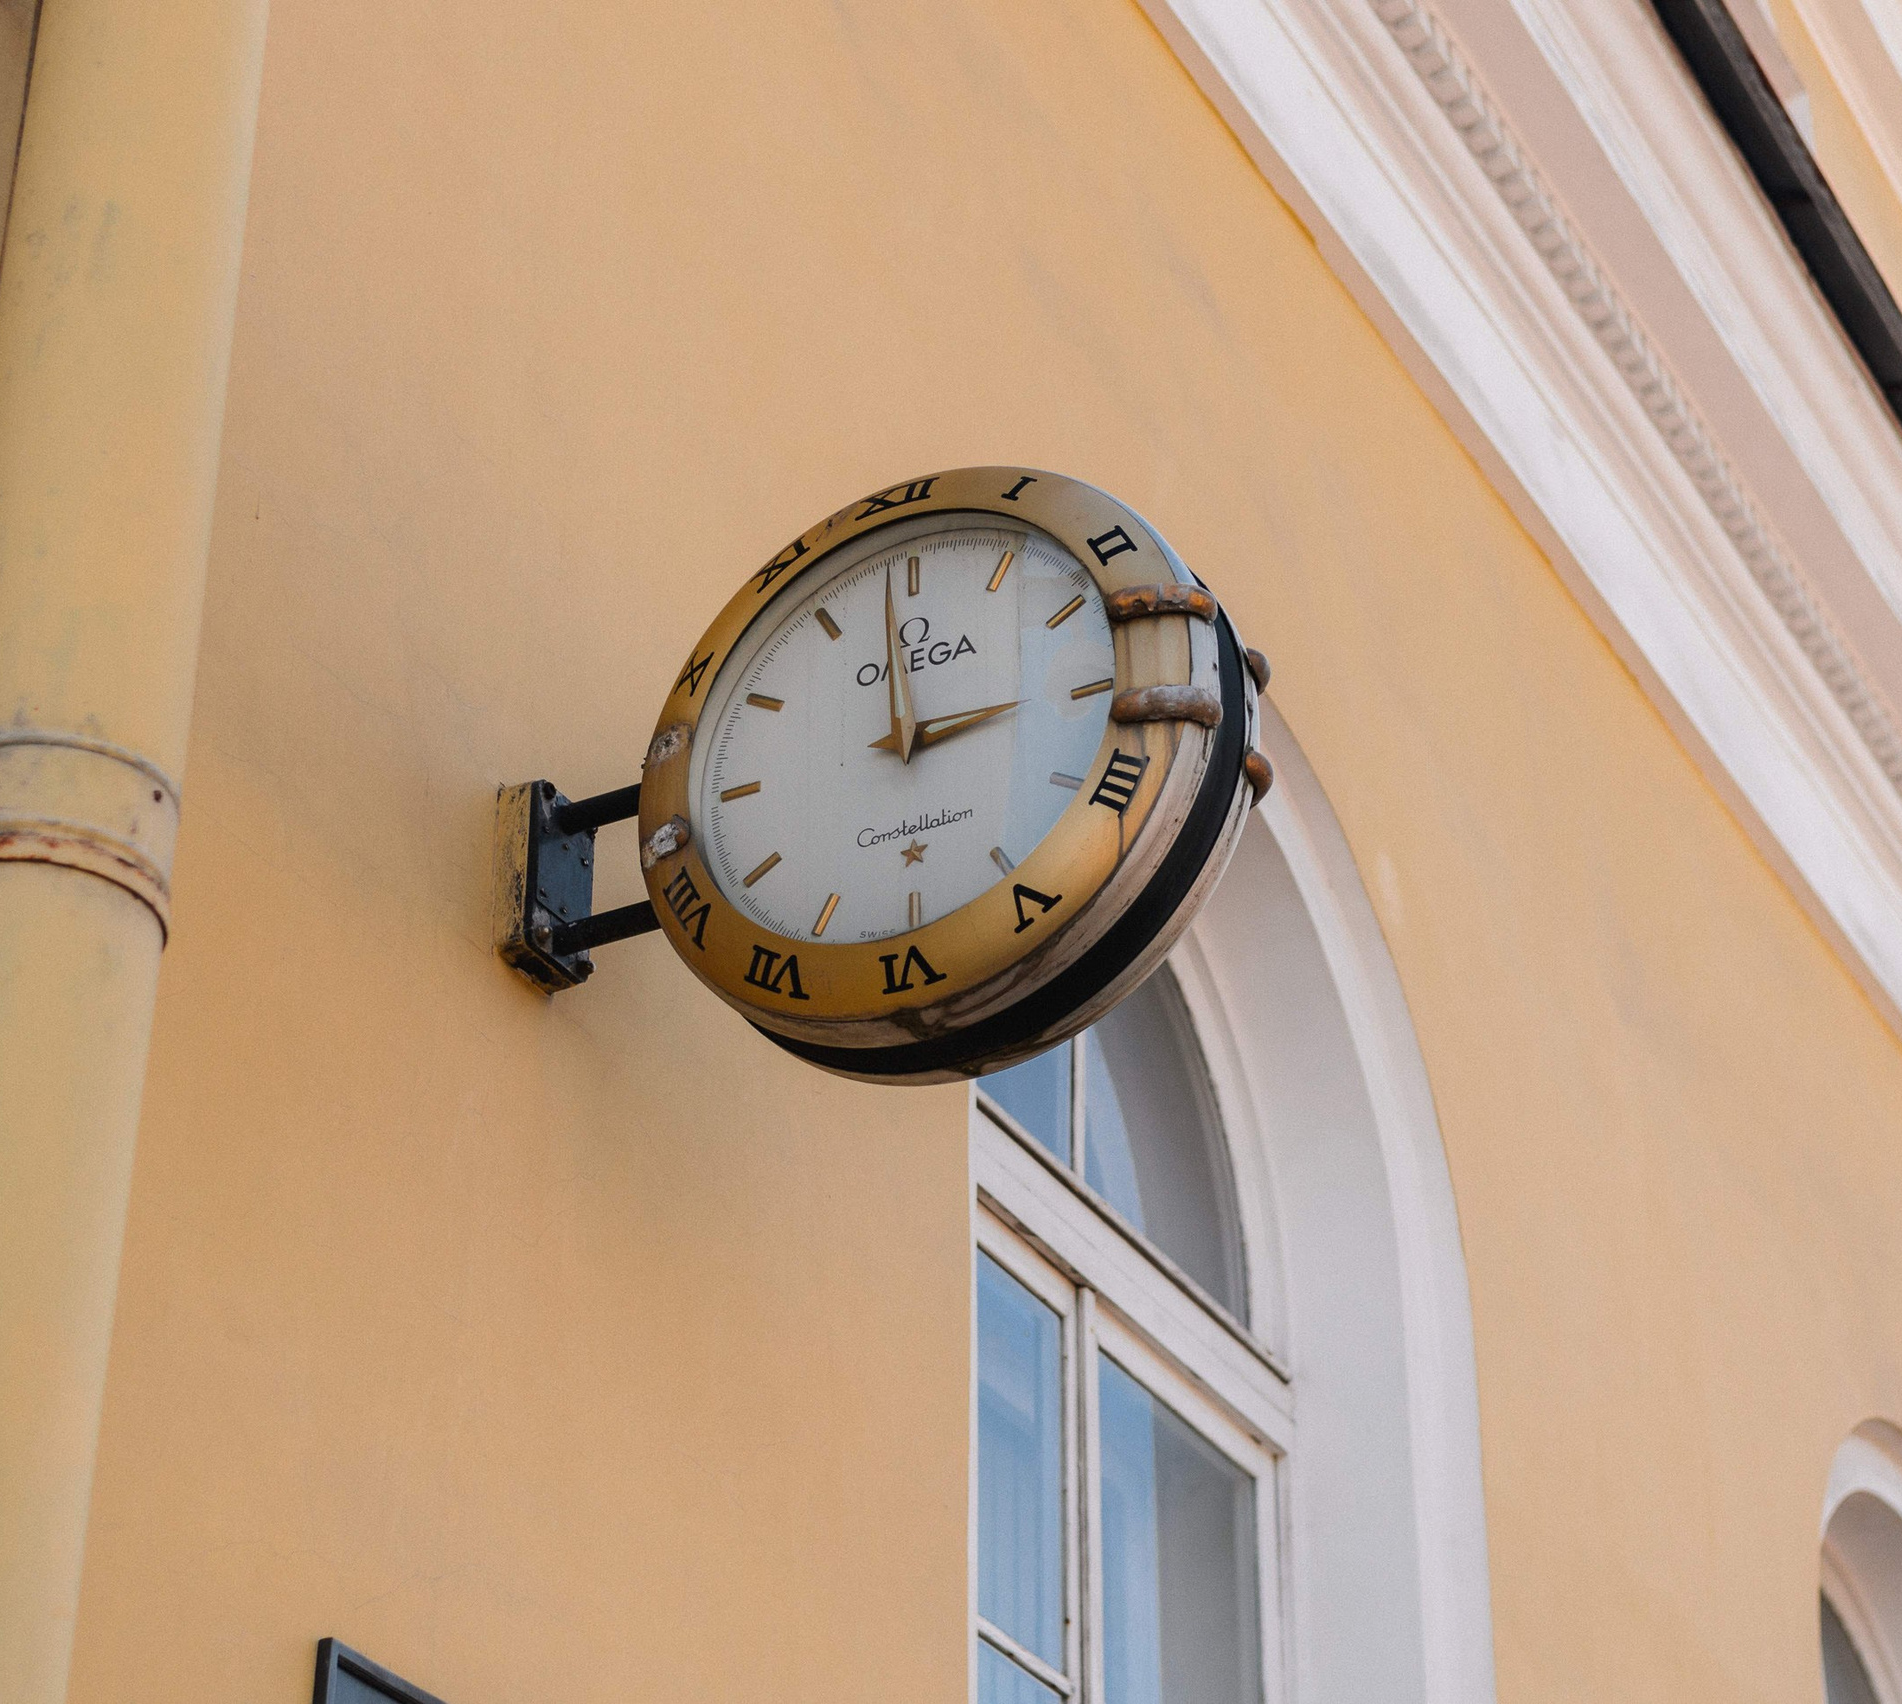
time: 2:58
